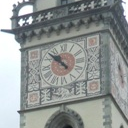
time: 10:52
